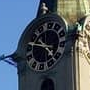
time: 9:22
